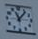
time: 11:06
